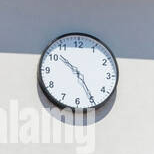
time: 10:24
